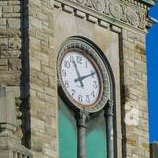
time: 11:10
